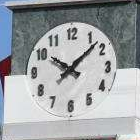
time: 10:07
